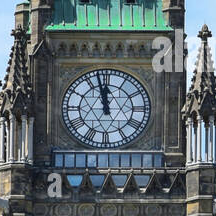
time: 11:57
